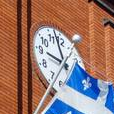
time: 8:57
